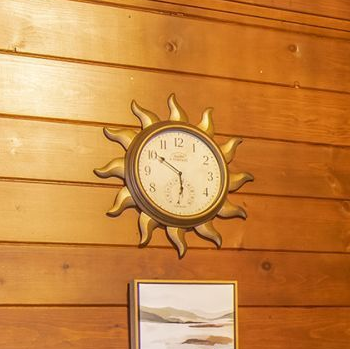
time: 5:51
